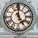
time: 4:59
